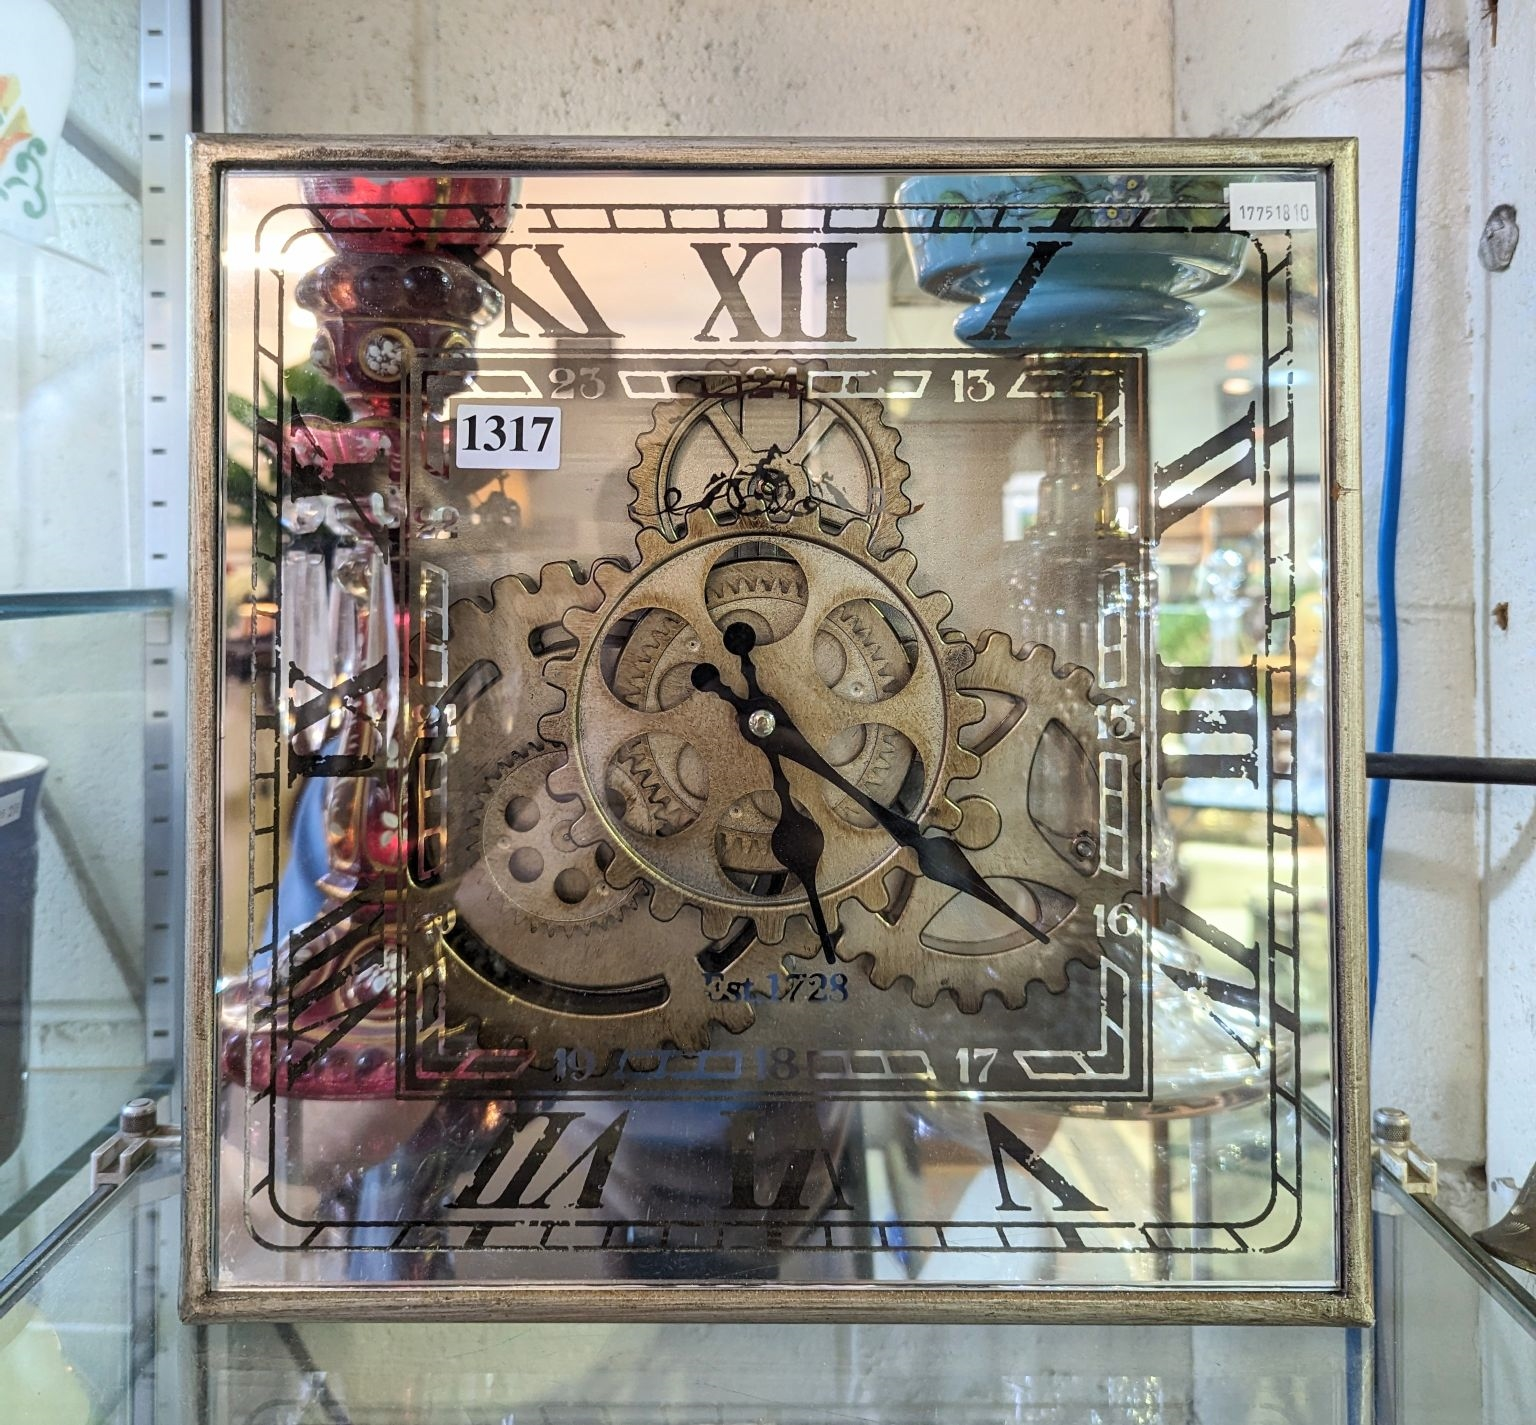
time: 5:20
